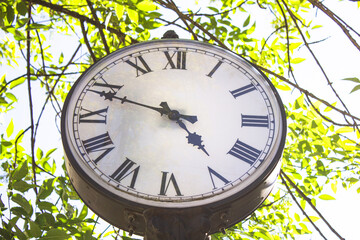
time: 4:48
